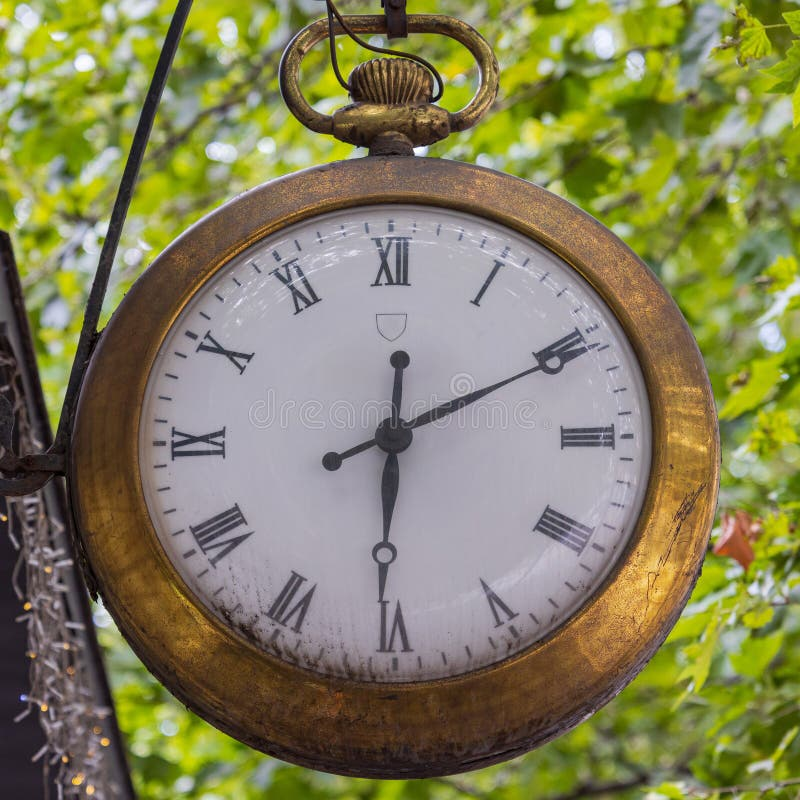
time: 12:10
